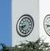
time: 8:38
